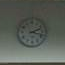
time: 2:17
